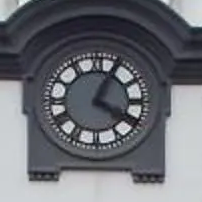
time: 4:04
